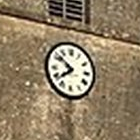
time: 7:51
